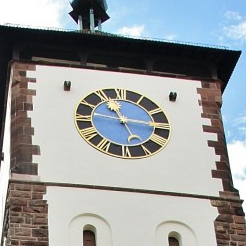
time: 11:14
